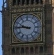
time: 9:45
